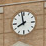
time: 7:58
